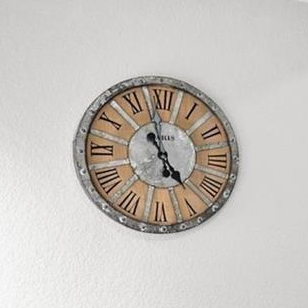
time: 4:57
